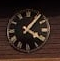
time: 4:06
